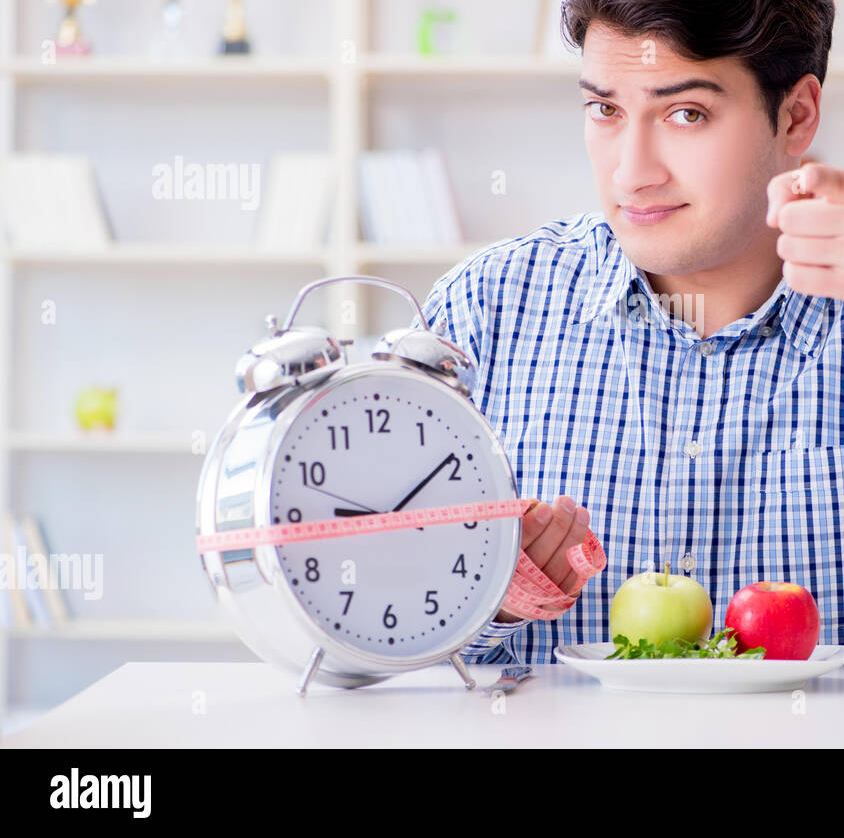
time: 9:09
